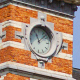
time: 11:07
